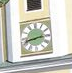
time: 2:42
